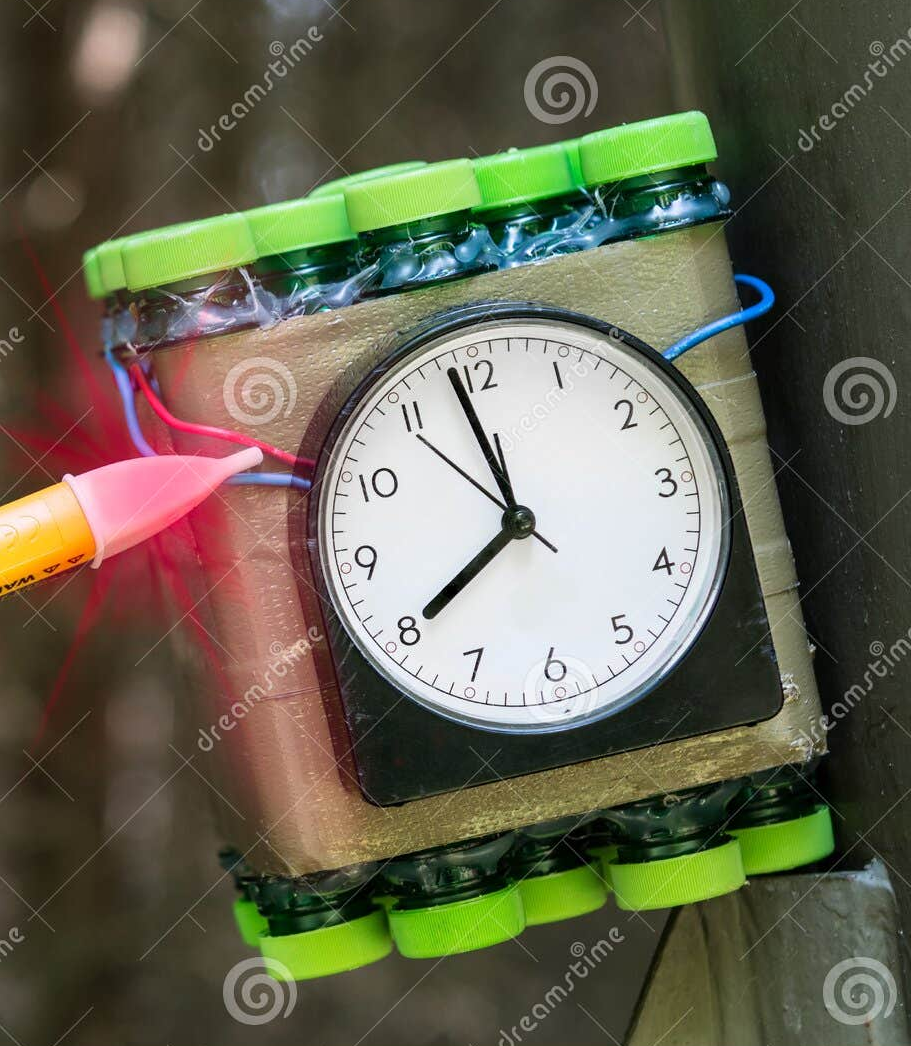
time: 7:58
